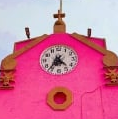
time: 4:36
